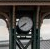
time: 7:39
